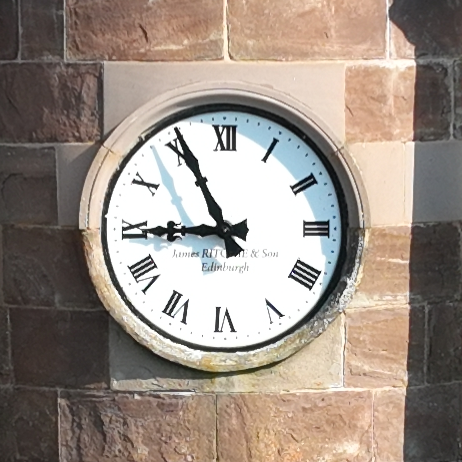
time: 8:55
